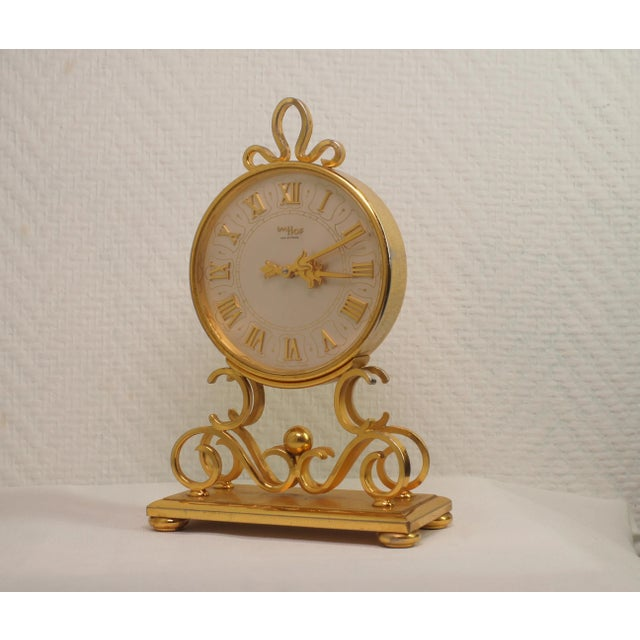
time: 3:09
